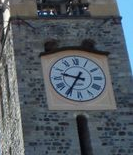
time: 9:35
